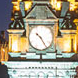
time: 10:24
